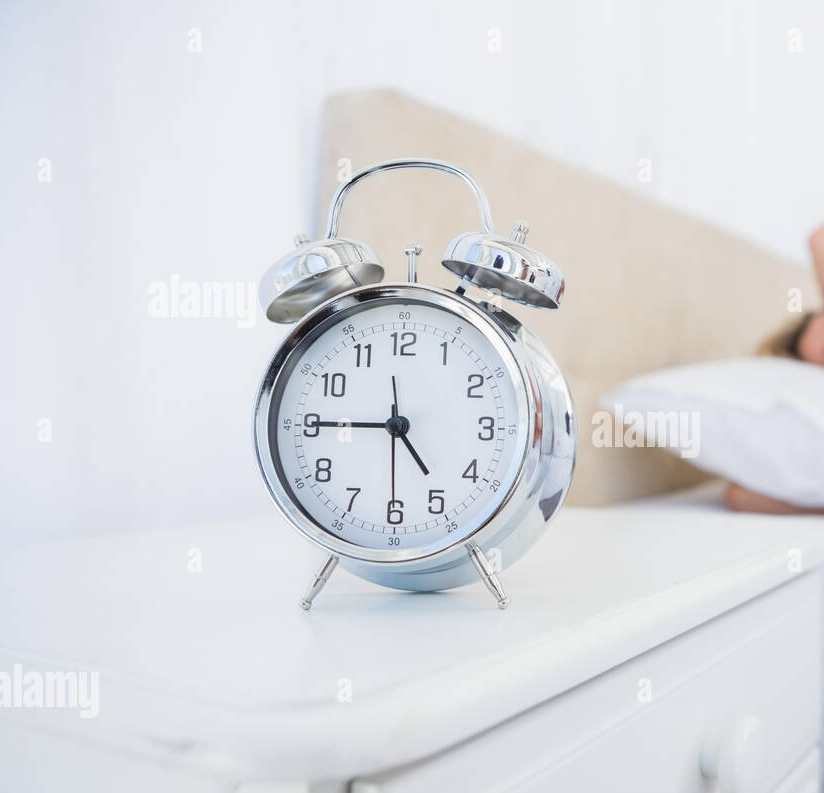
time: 4:45
